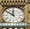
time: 11:51
